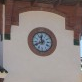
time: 11:41
